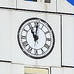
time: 11:01
